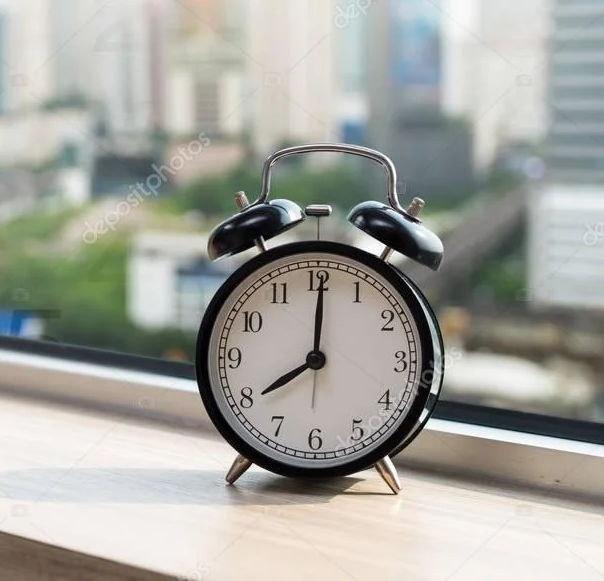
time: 8:00
